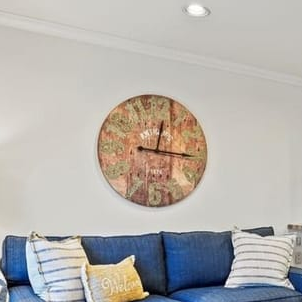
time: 12:16
